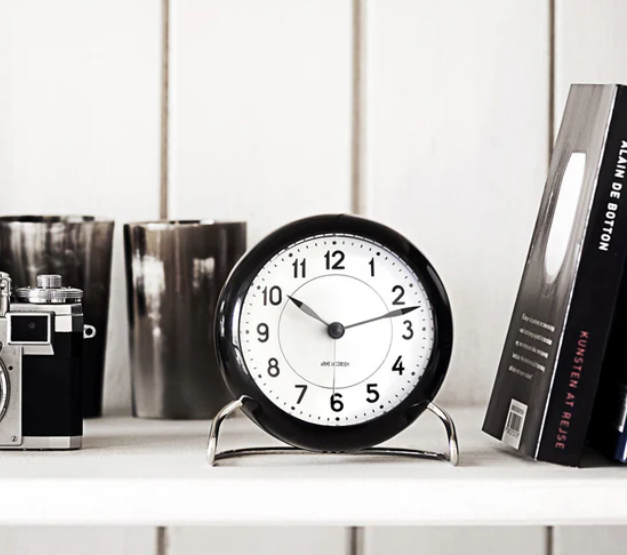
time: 10:12
